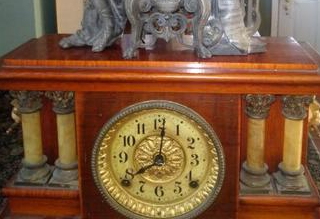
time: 8:01
